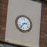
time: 2:36
